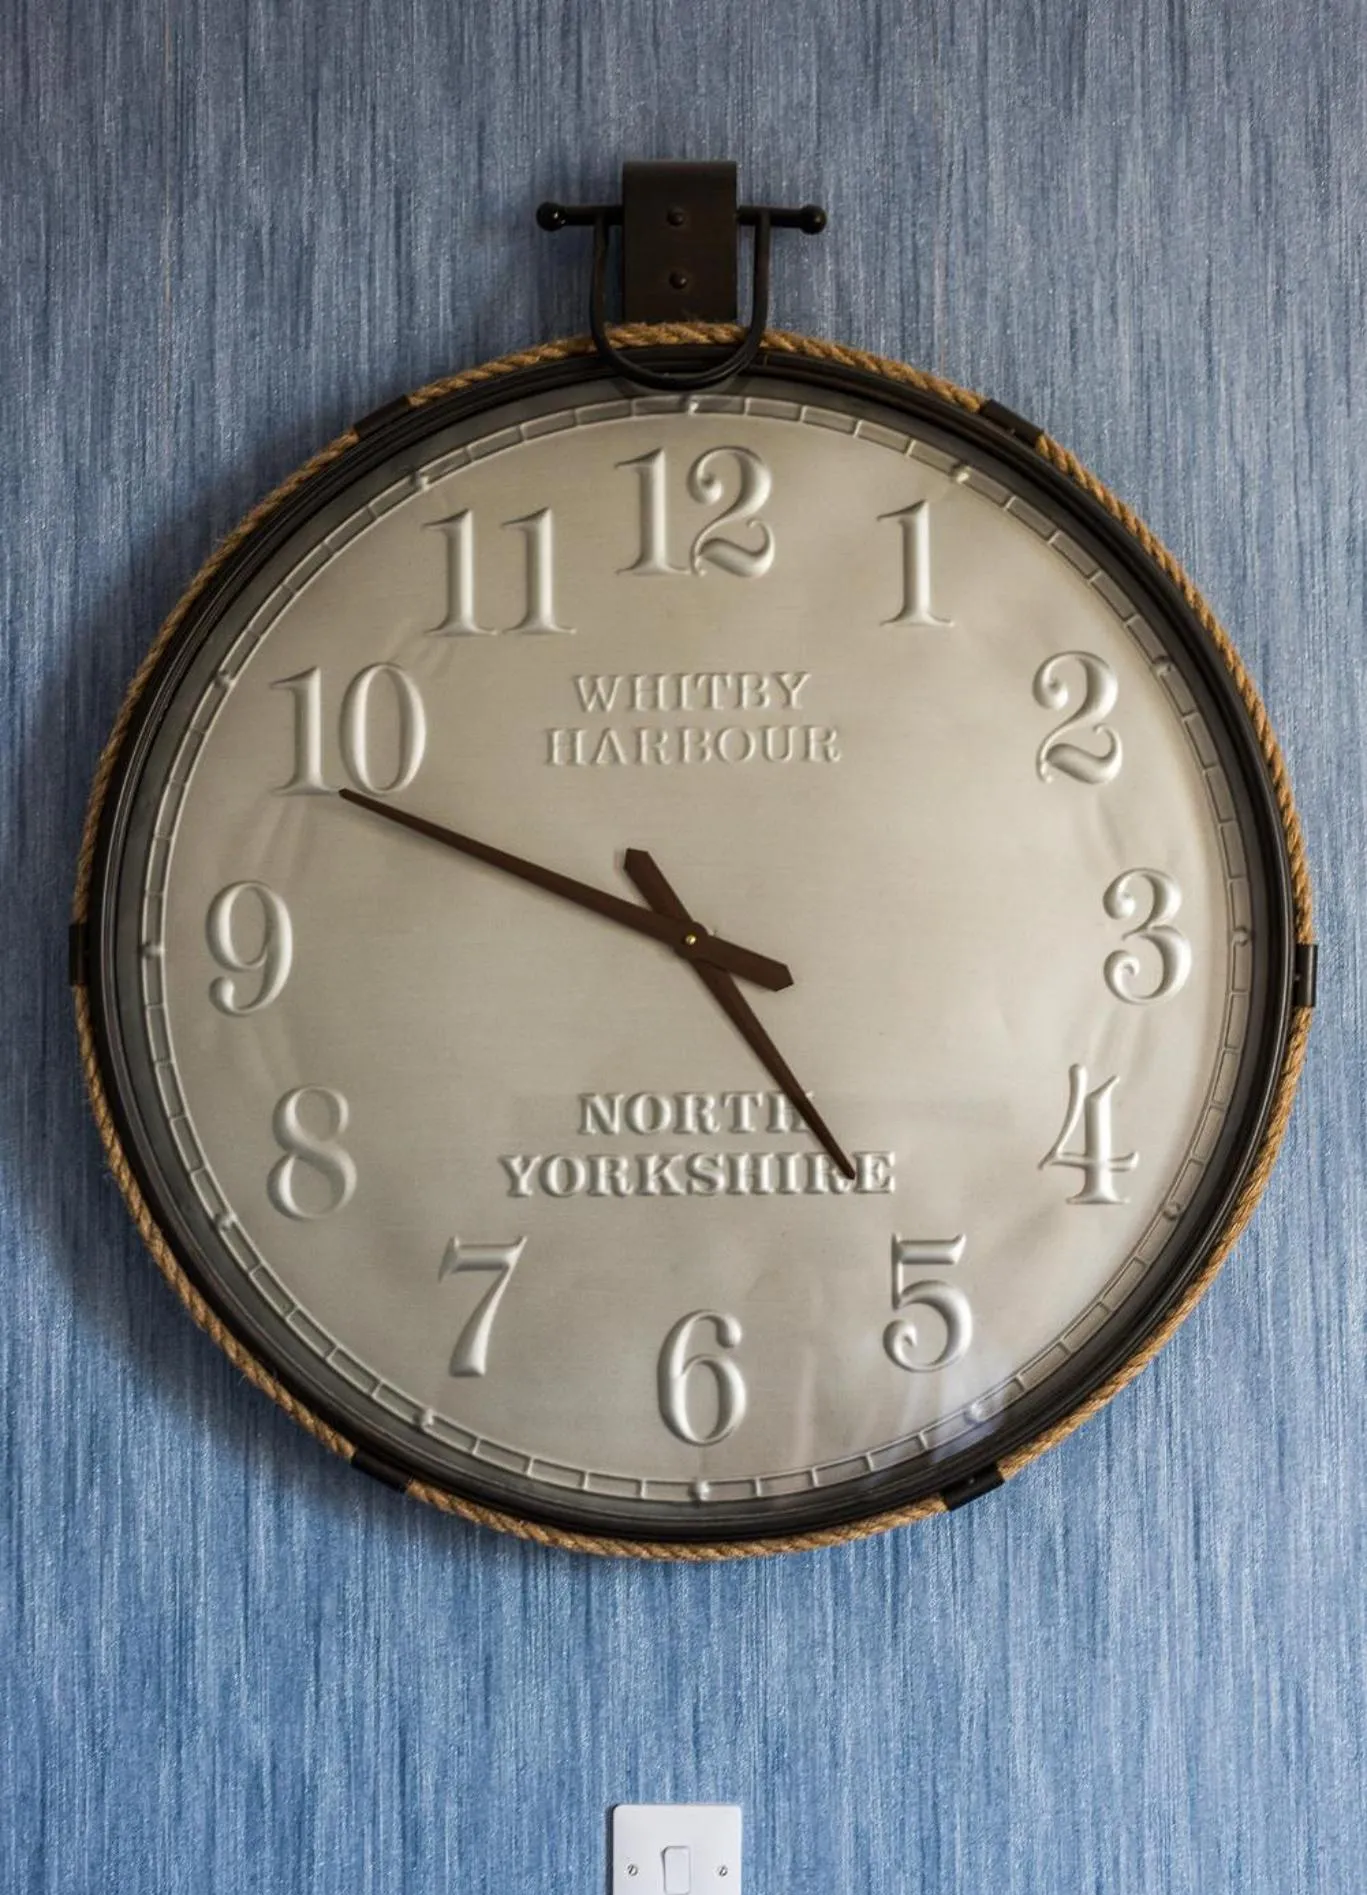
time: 4:48
